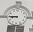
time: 8:45
